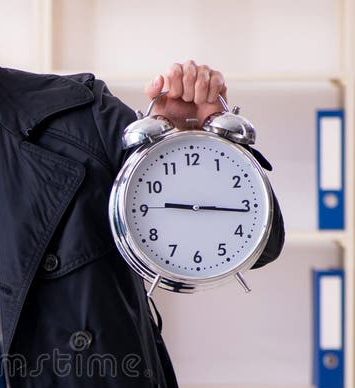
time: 9:16
